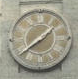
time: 1:38
